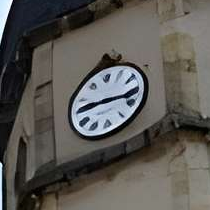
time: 9:17
